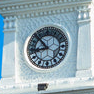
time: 8:53
